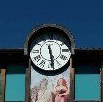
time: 5:28
